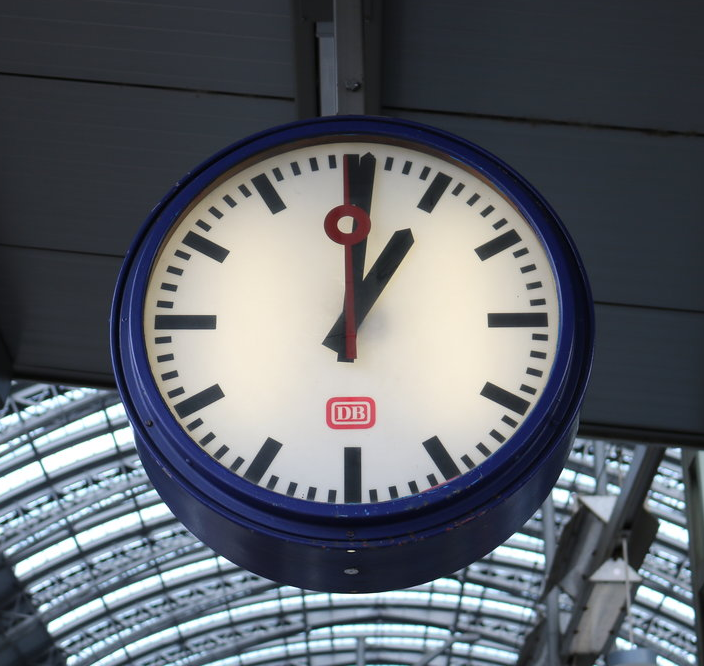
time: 1:00
